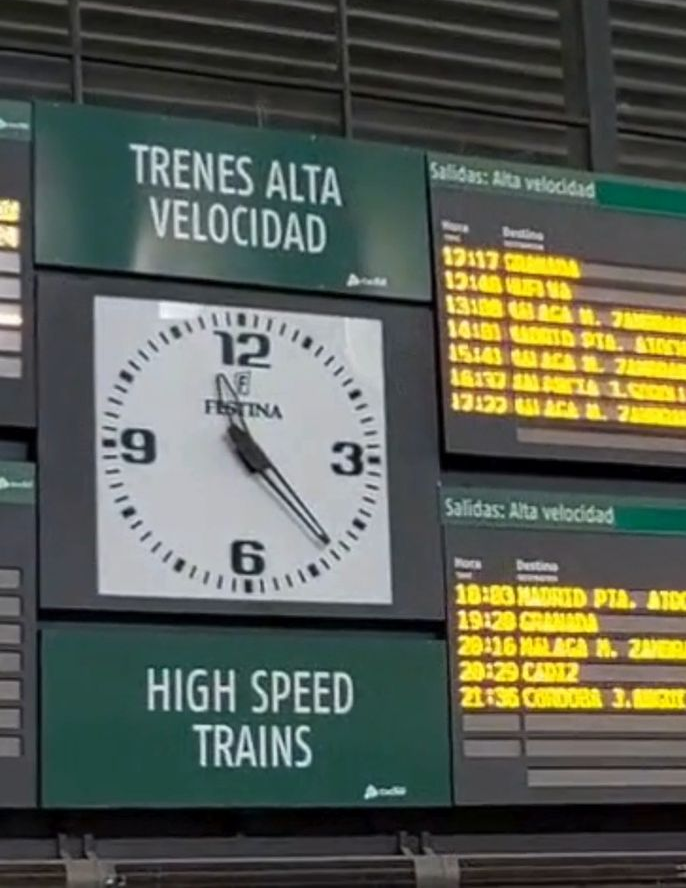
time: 11:23
